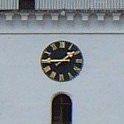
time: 1:44
